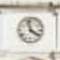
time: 3:58
